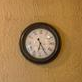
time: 6:24
